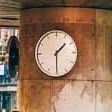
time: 1:29
